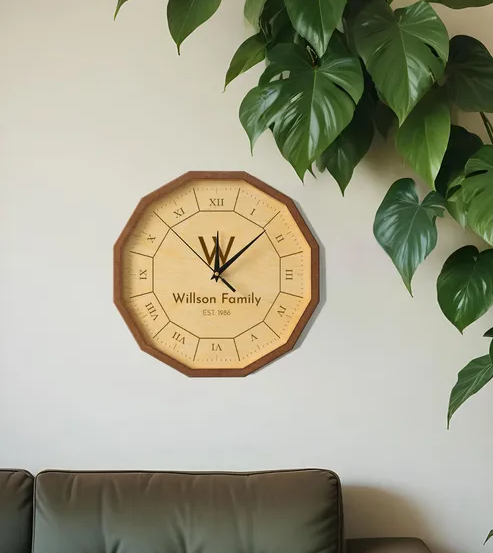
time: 12:08
